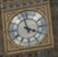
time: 3:57
